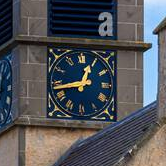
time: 12:43
